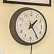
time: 1:24
